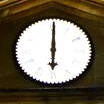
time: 6:00
